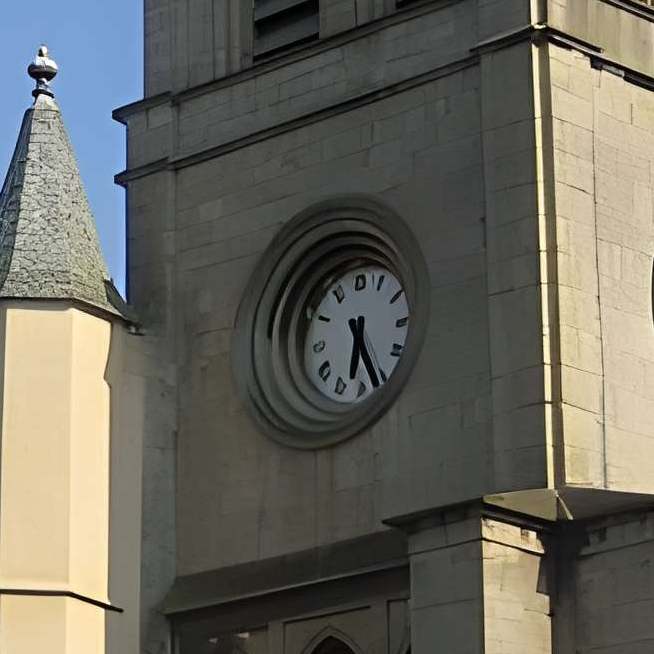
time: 6:25
